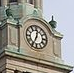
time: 12:34
